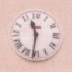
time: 11:31
